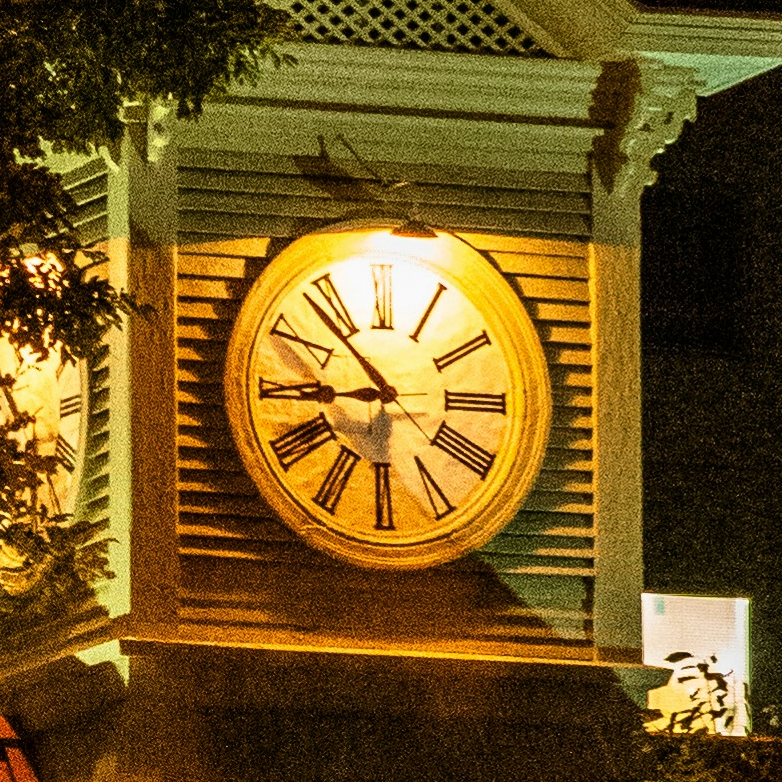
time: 8:53
